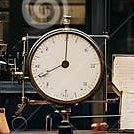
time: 8:01
